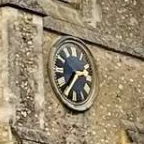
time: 2:35
